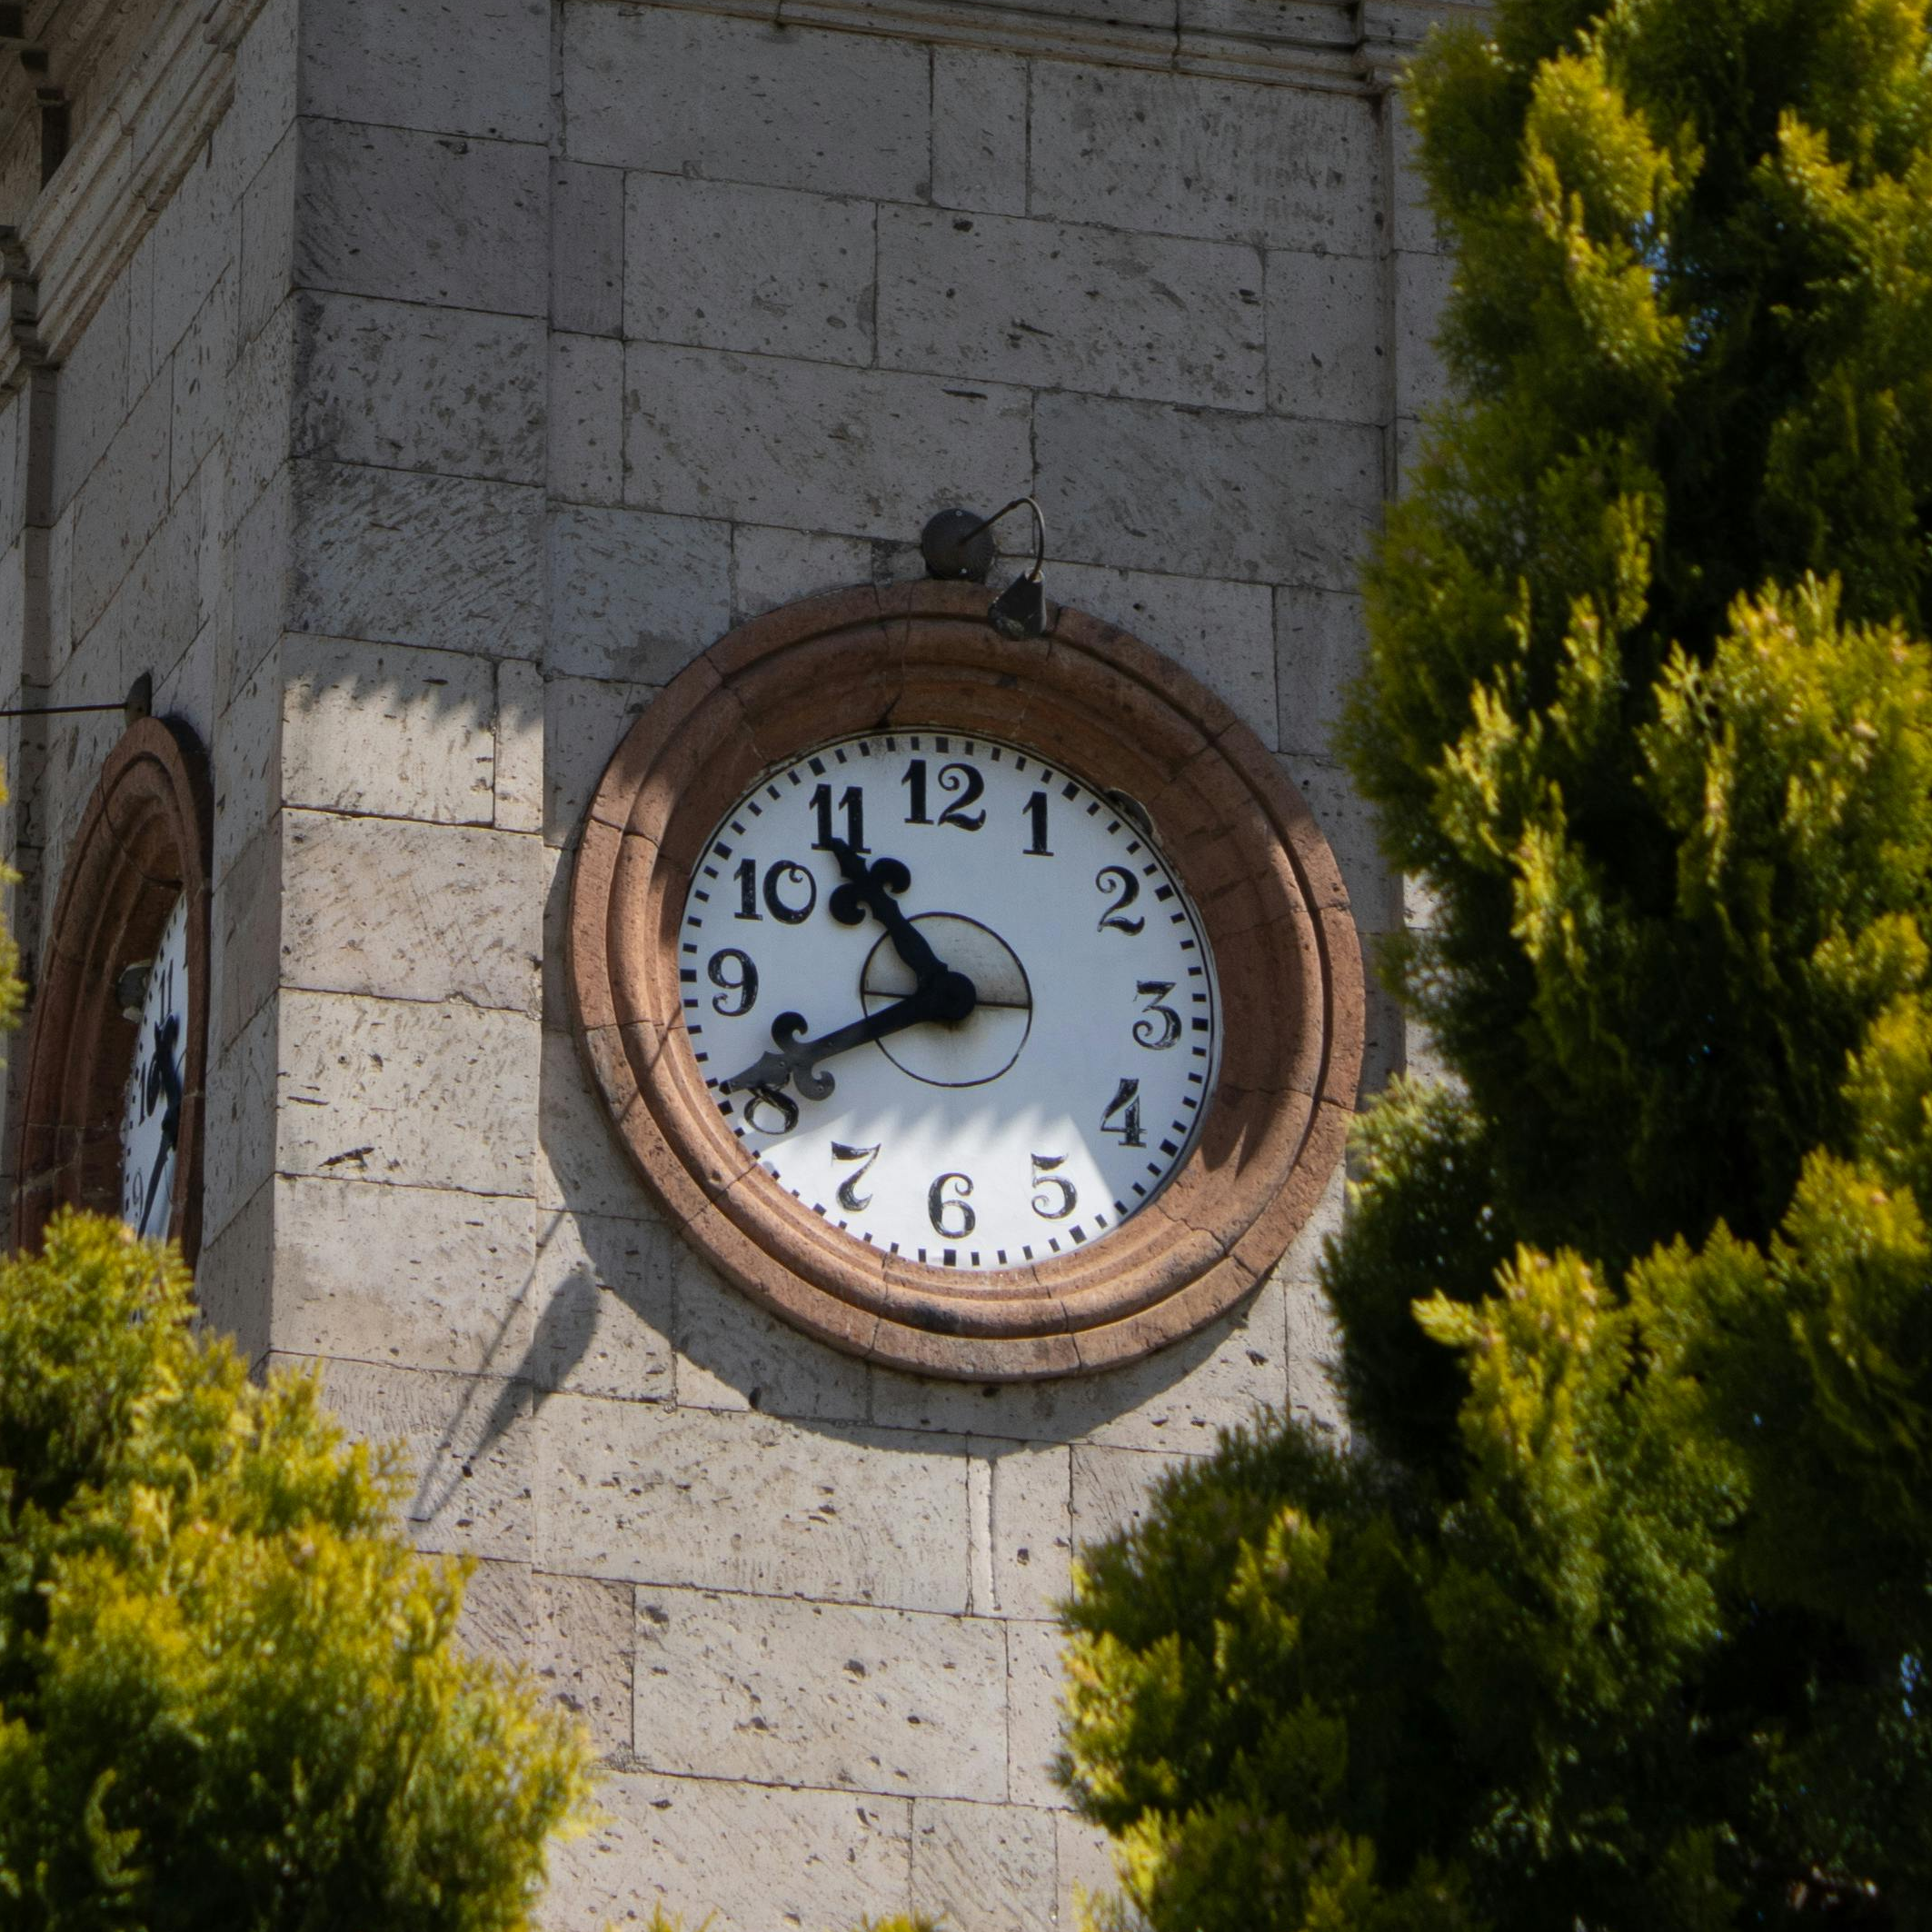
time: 10:41
